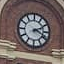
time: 2:18
